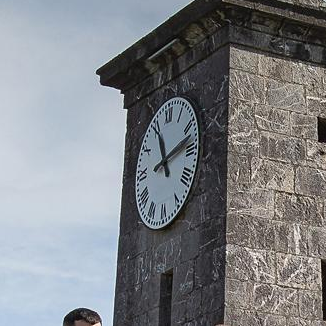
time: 11:12
